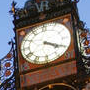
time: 4:20
